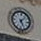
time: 5:07
